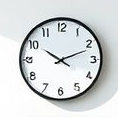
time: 10:11
